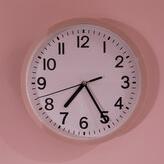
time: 7:24
